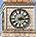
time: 2:15
